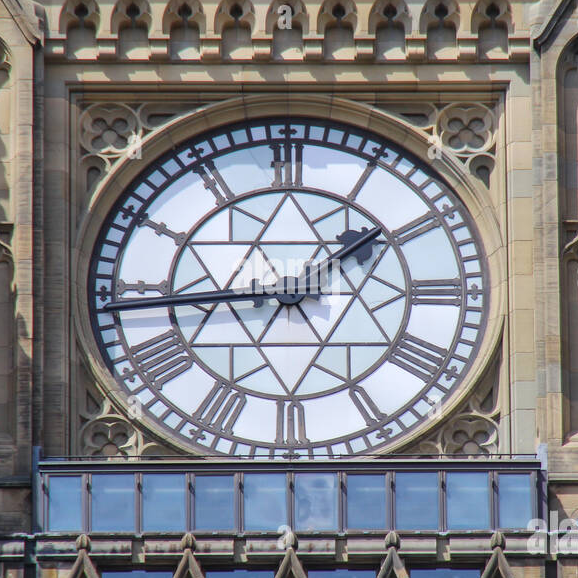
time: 1:44
